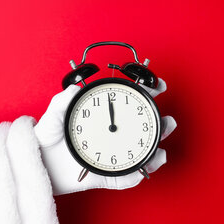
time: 11:59
